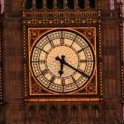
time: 6:20
